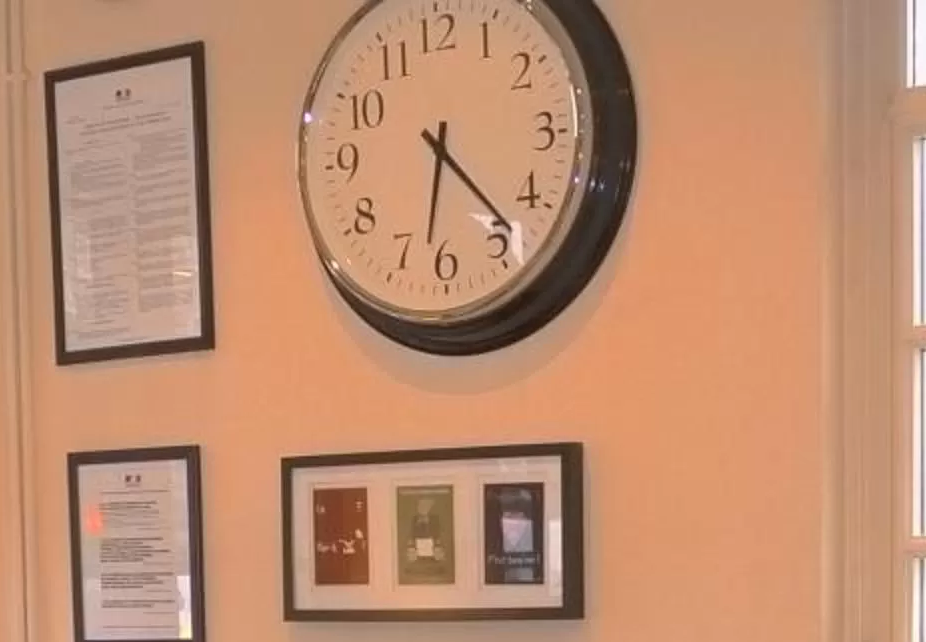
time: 6:23
